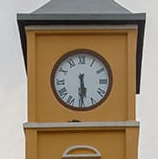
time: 5:29
